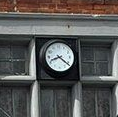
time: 8:21
